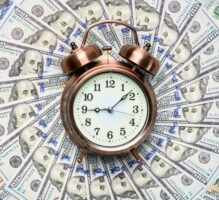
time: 9:08
